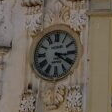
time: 3:20
